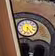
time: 6:24
